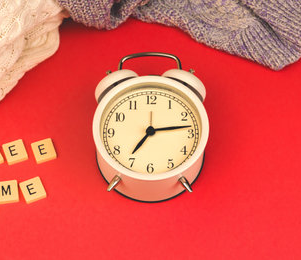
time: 7:13
